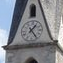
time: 1:24
